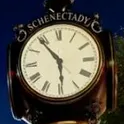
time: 5:54
